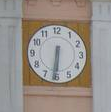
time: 6:31
